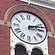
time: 2:12
